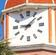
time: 9:07
